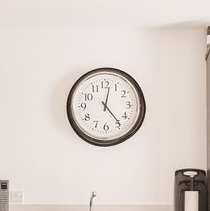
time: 12:23
